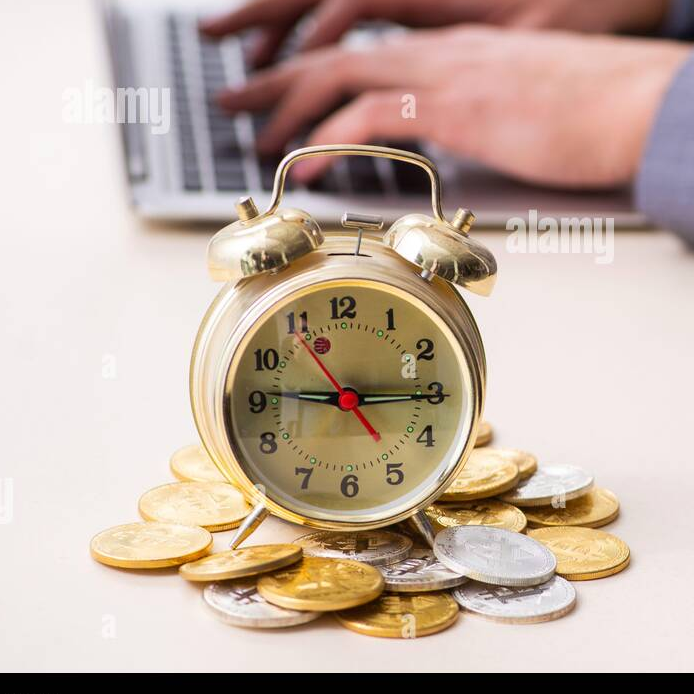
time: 9:15
